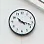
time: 10:17
